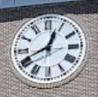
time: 12:41
